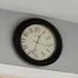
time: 12:32
